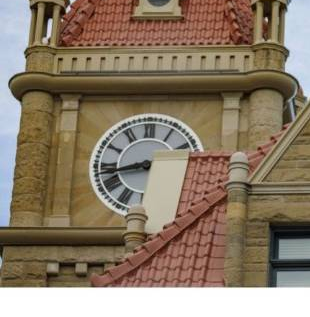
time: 8:42
